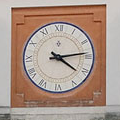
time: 4:13
